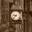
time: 9:37
